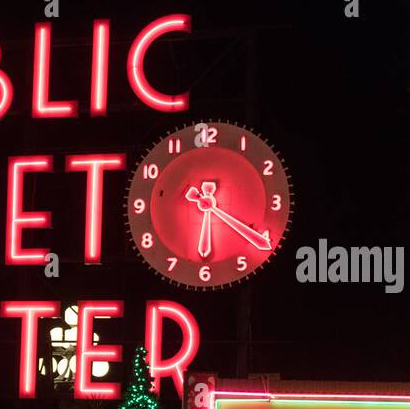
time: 6:20
